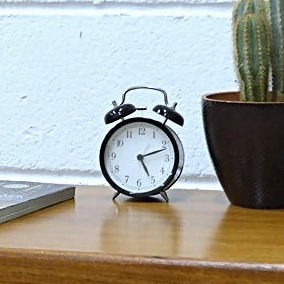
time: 5:11
